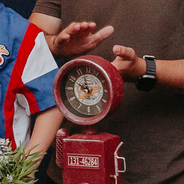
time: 9:57
